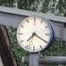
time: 7:20
